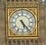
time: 5:23
